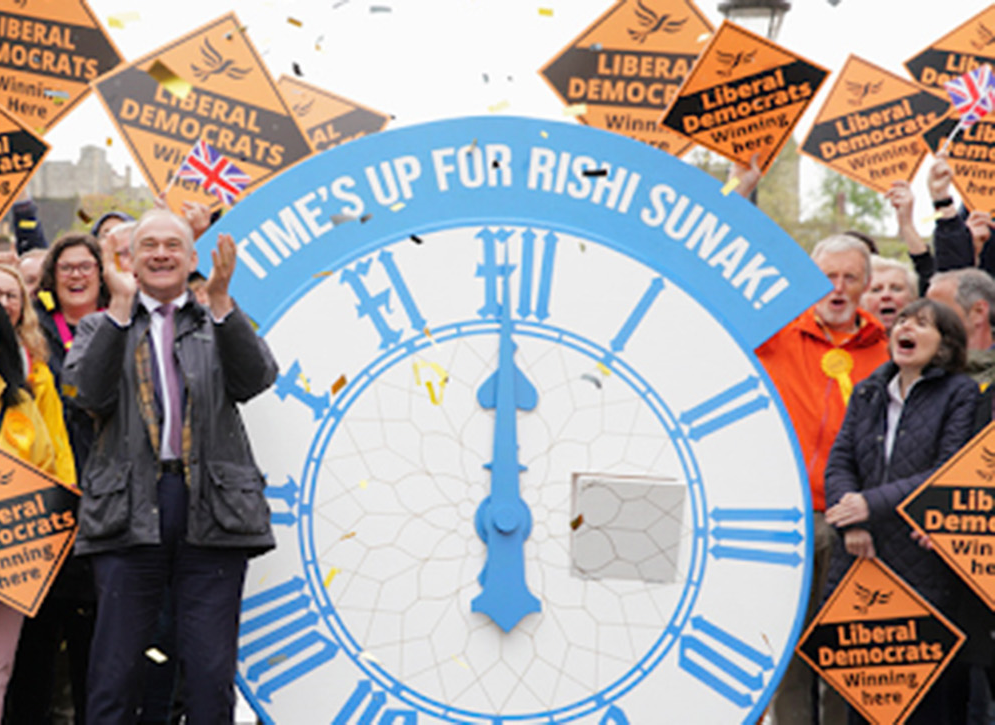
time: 5:59
